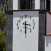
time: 3:29
